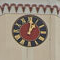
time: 1:02
